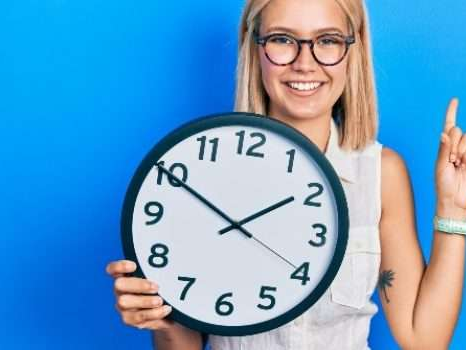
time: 1:50
